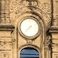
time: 7:37
